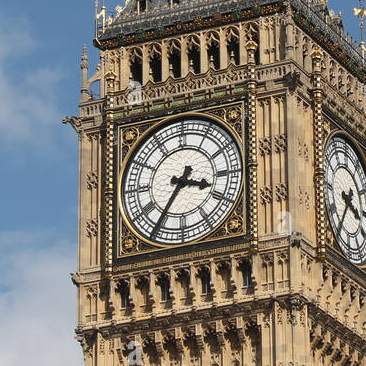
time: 3:35
